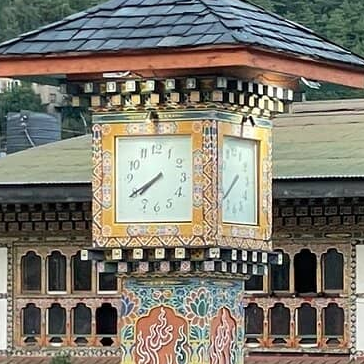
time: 7:40
